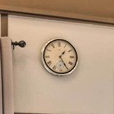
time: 1:25
